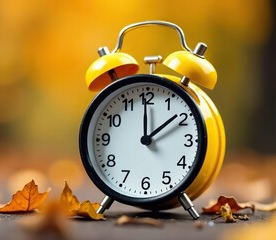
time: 1:59
